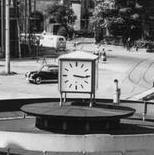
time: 3:15
